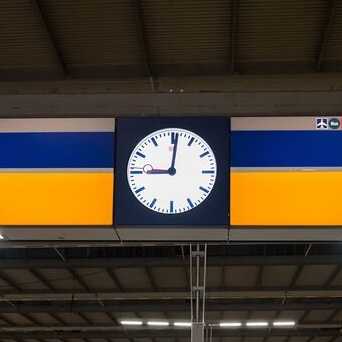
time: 9:01
